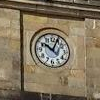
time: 10:04
